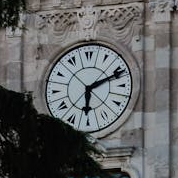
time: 6:11
